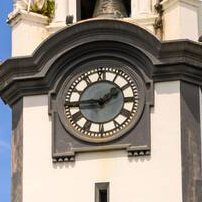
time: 1:45
